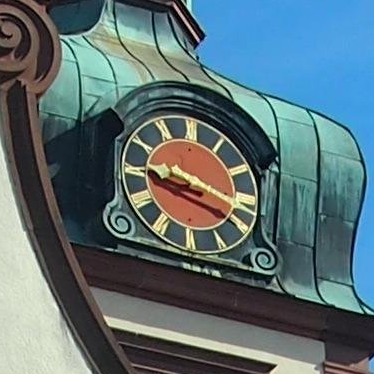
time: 9:17
